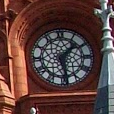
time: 1:28
